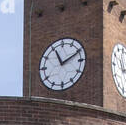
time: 11:10
